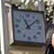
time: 11:08
